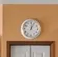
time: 12:04
